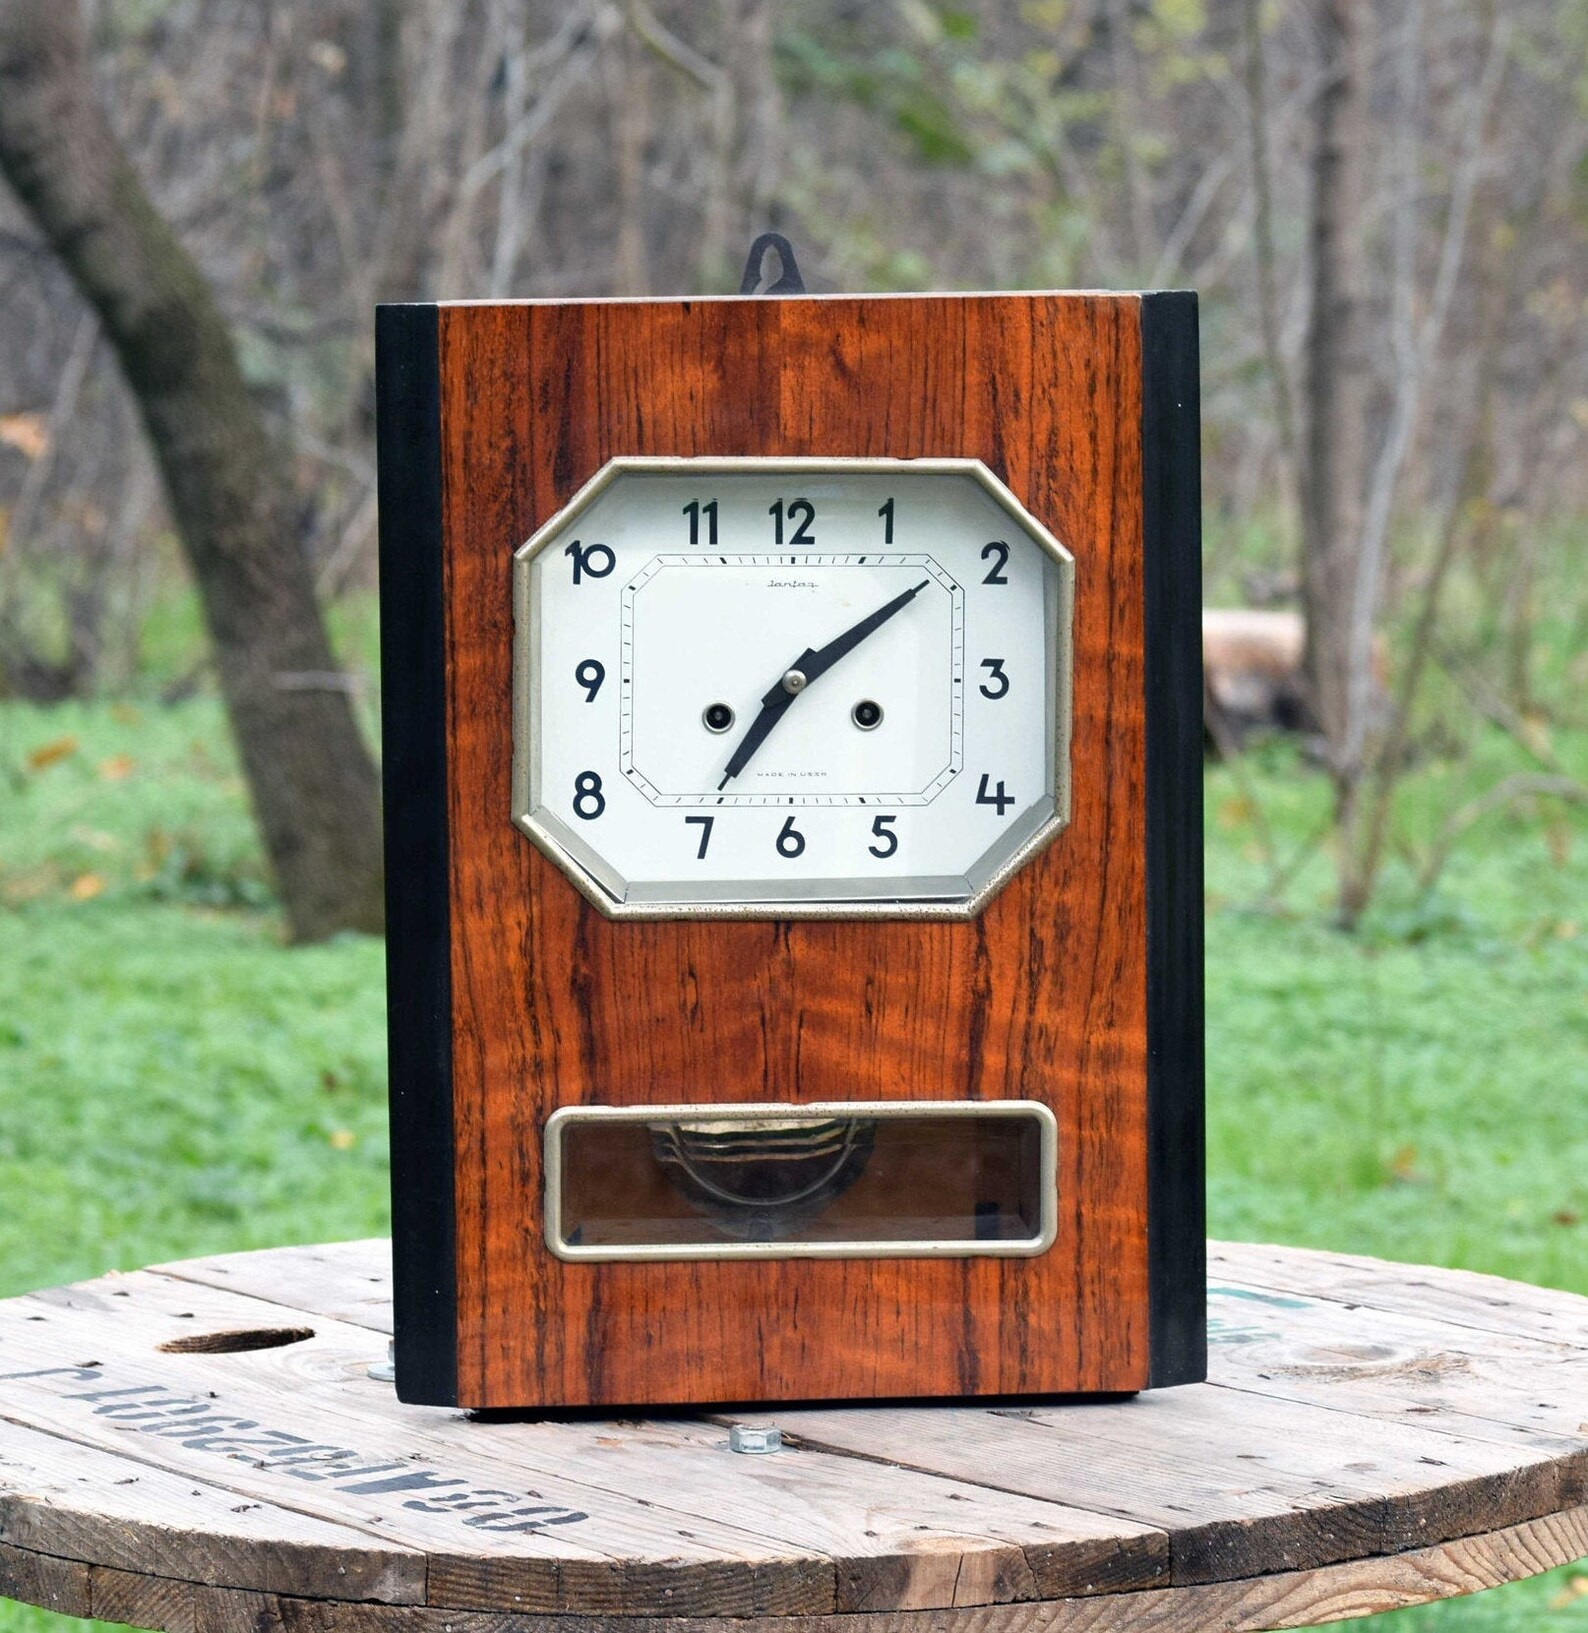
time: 7:08
